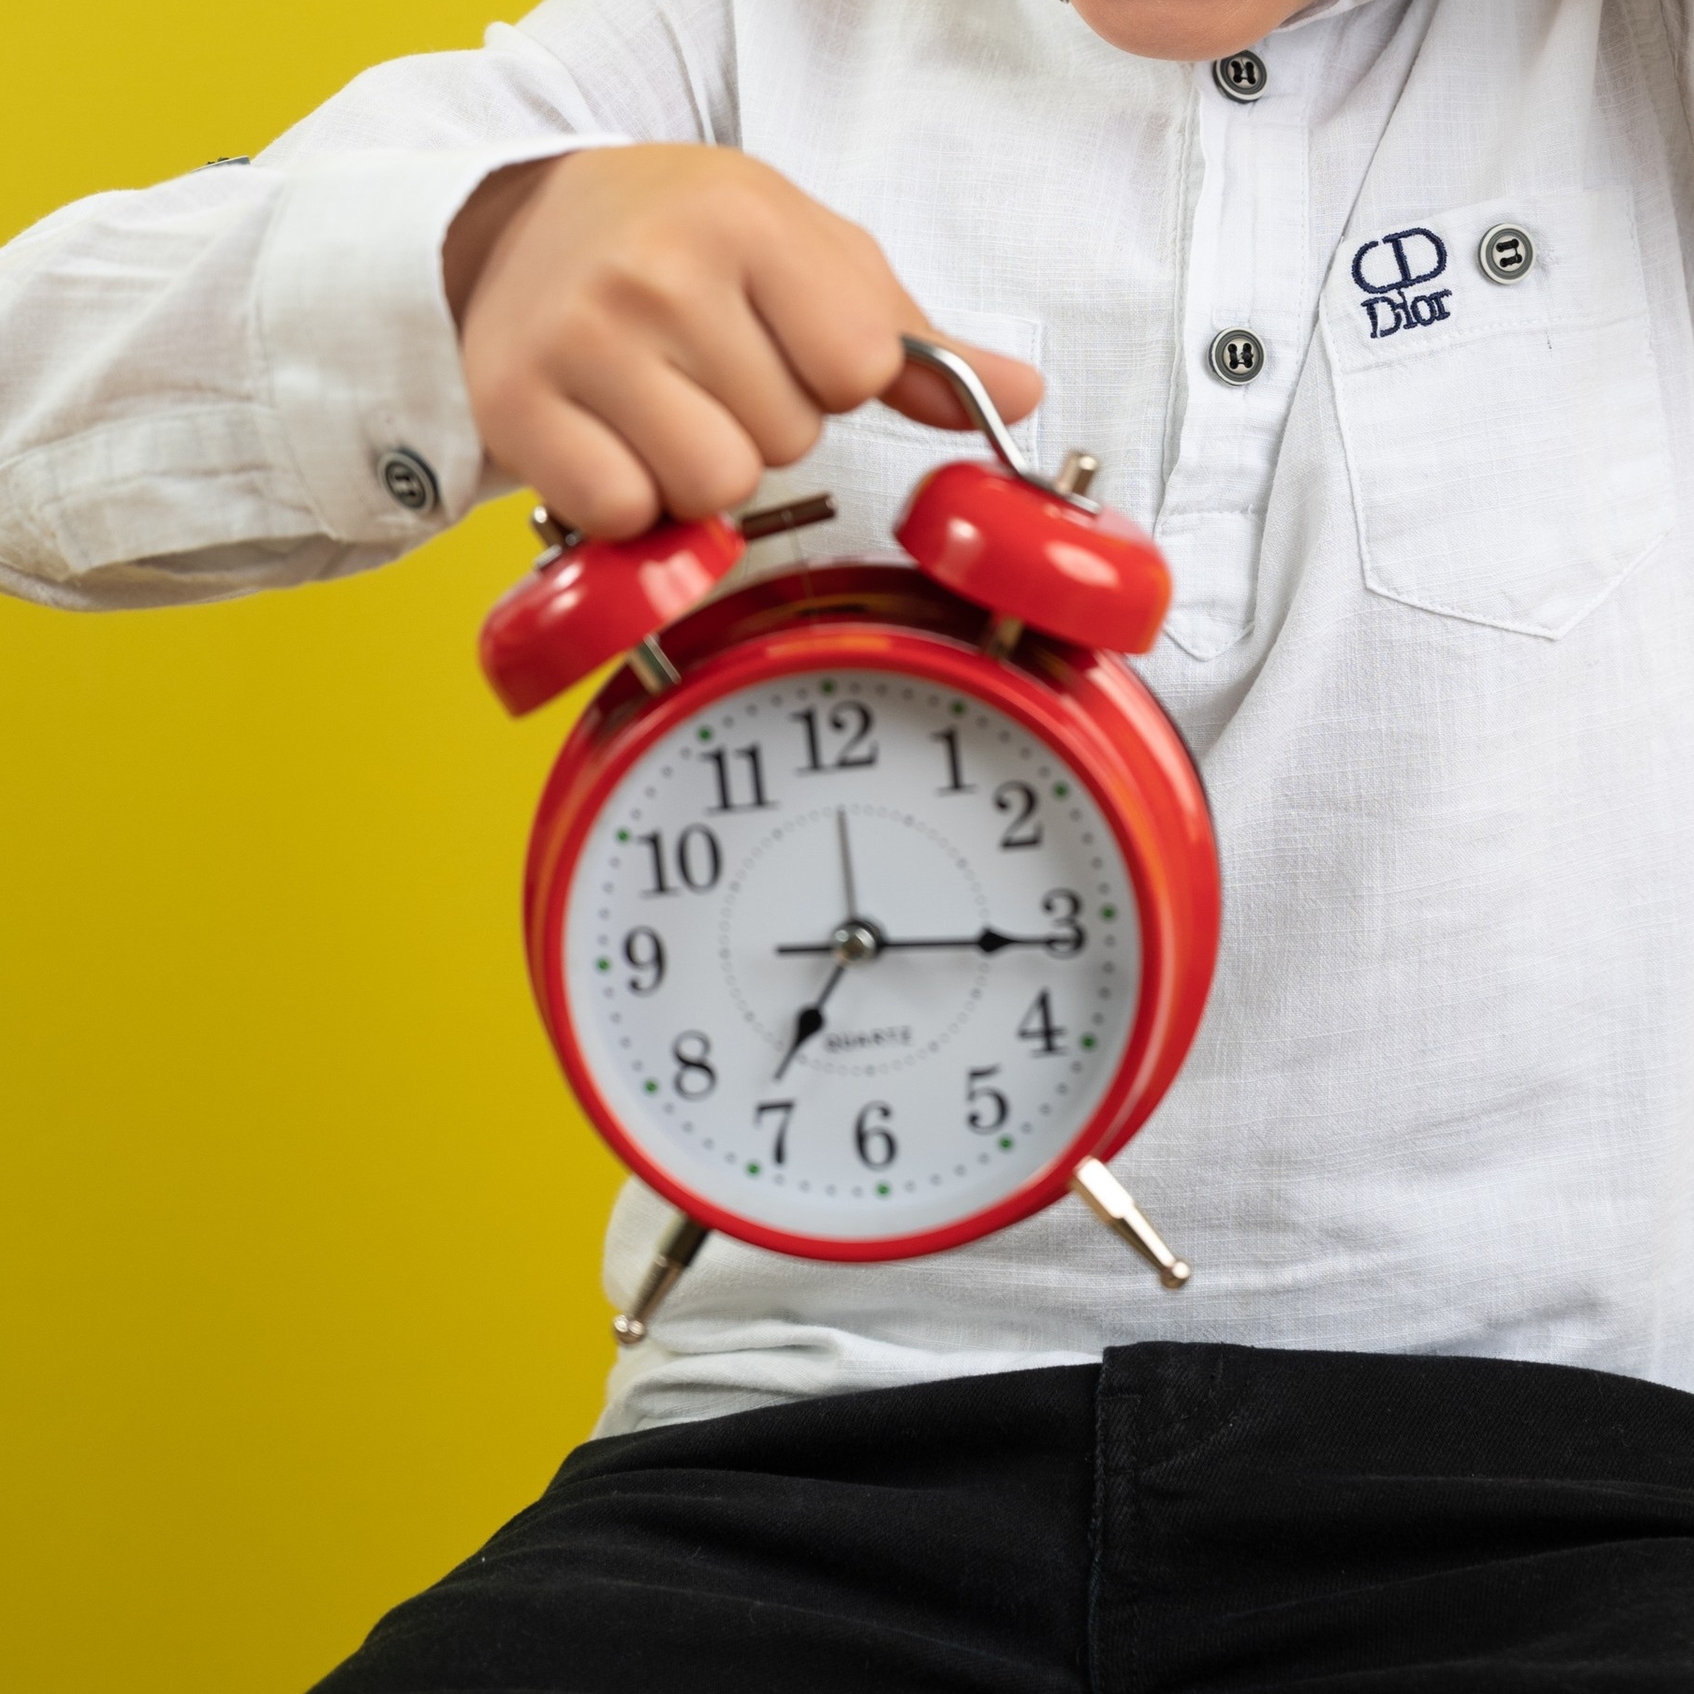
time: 7:16
